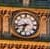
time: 6:42
